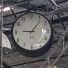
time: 9:07
